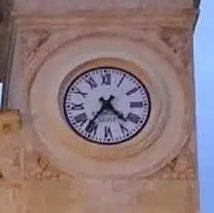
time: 4:36
